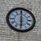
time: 6:00
